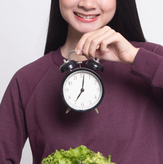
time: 7:01
